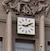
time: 9:10
